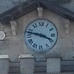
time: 3:47
